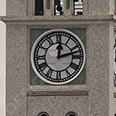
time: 12:12
